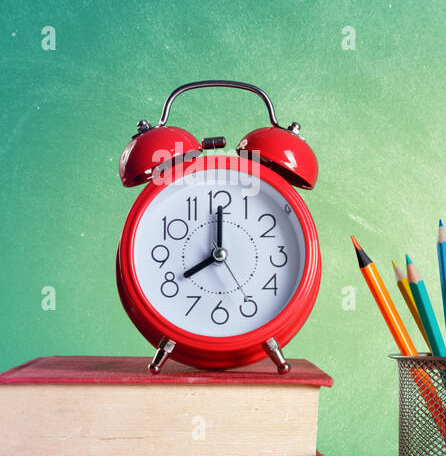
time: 8:00
